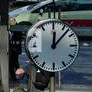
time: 12:07
